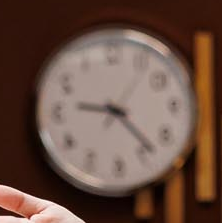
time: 9:23
